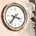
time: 3:36
